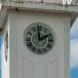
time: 1:59
